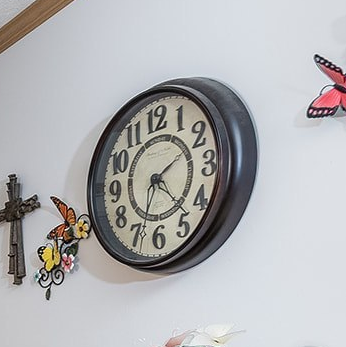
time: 2:22
